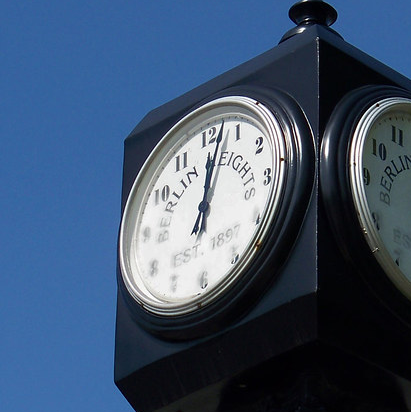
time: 12:02
